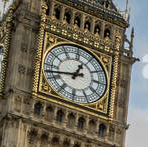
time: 12:42
